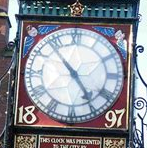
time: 4:53
